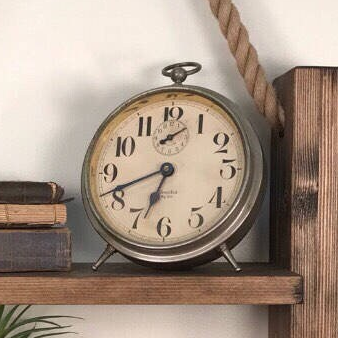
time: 6:41
